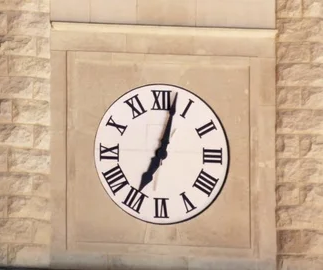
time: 7:02
